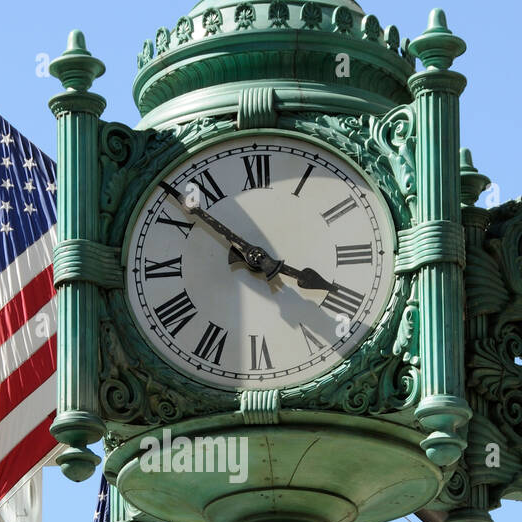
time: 3:52
